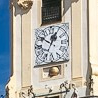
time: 12:51
